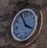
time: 3:55
